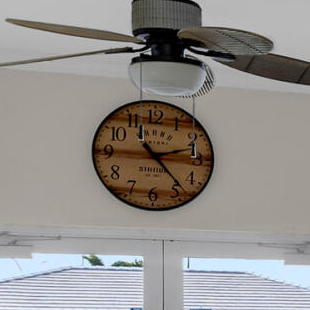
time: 2:23
